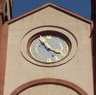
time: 3:54
